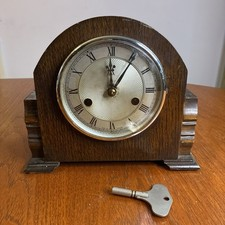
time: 12:05
